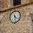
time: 4:27
